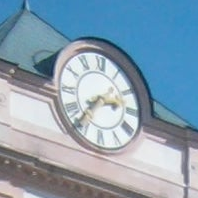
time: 2:36
